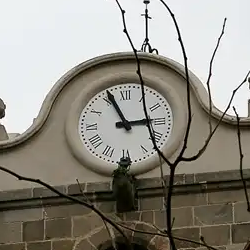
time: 2:56
